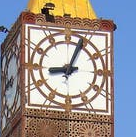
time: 9:03
